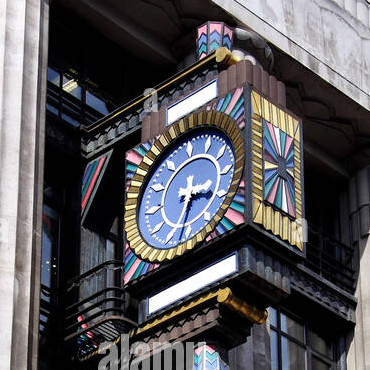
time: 3:32
